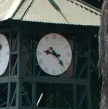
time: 9:23
